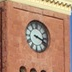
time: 3:18
